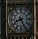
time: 8:25
